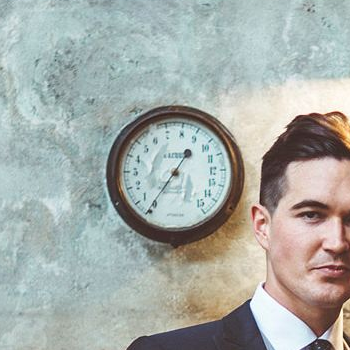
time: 1:36
